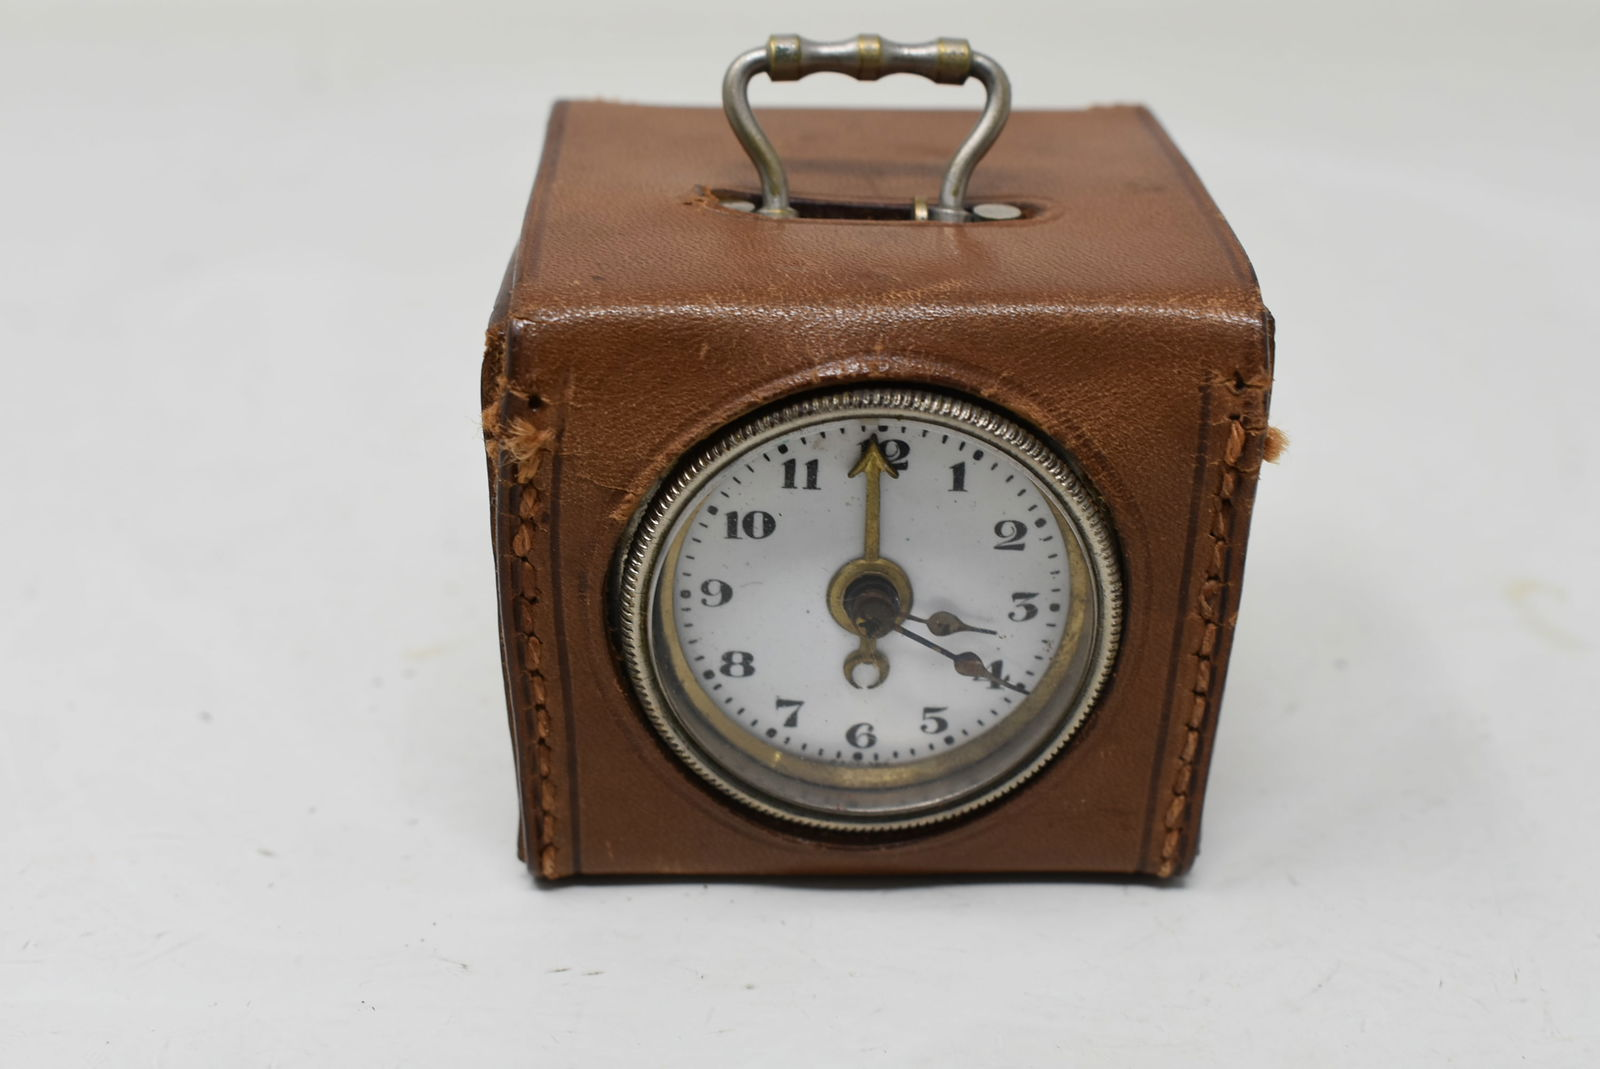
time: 3:59
